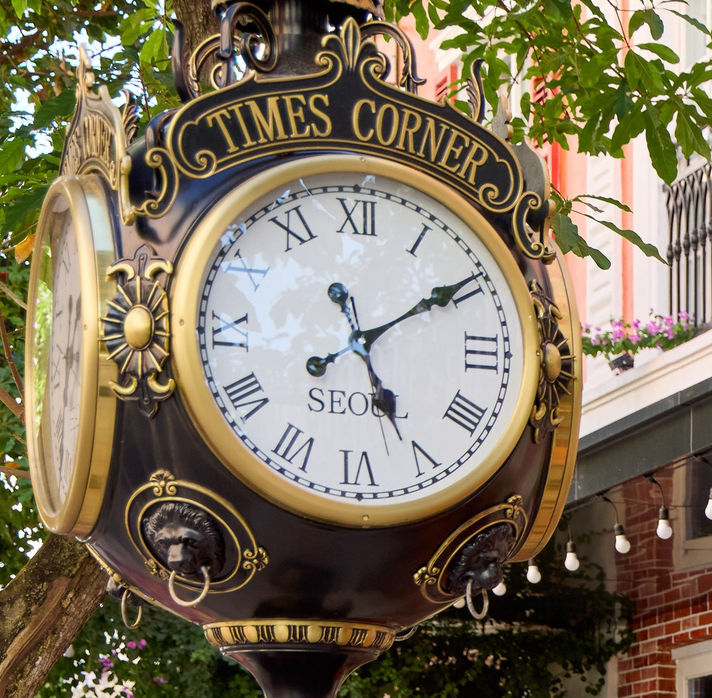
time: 5:09
